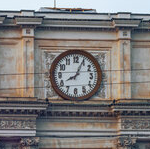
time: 8:04
